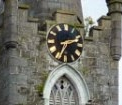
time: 2:34
